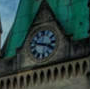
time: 3:47
